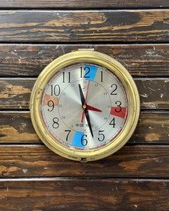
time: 11:27
